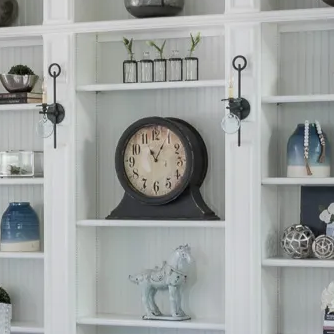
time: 11:04
